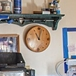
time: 11:02
